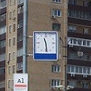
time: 11:28
